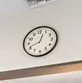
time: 12:41
